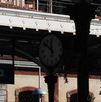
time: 11:52
